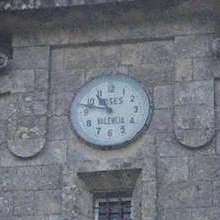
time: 10:47
